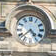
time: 4:37
